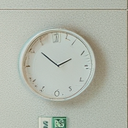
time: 1:51
